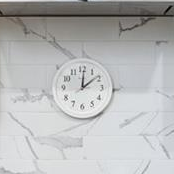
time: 12:08
